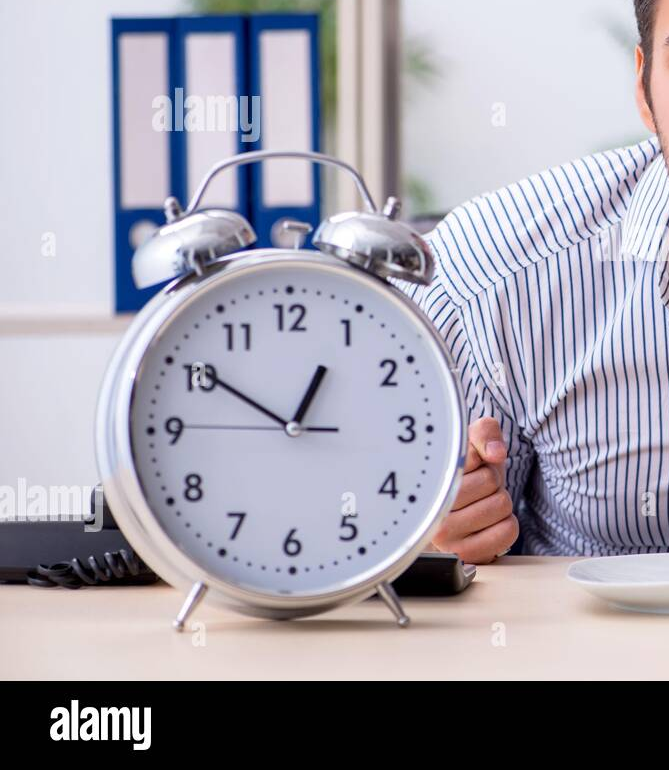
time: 12:50
